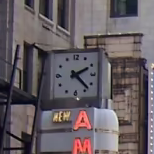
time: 2:22
